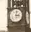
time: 3:02
